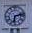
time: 6:13
